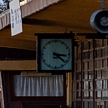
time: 3:21
